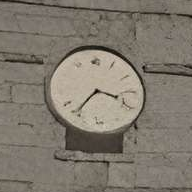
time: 3:36
